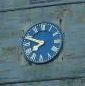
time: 7:48
